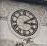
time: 3:09
